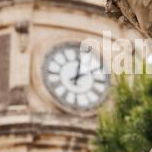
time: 2:01
